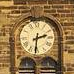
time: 2:31
